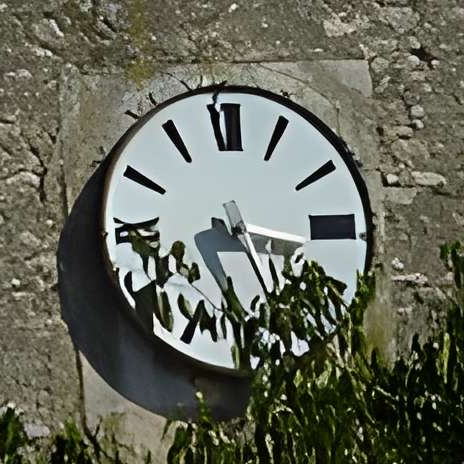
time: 5:16
